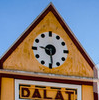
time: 9:29
